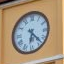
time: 6:22
